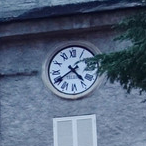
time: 4:39
